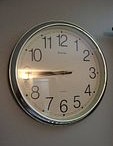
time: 8:45
